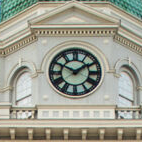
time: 1:49
